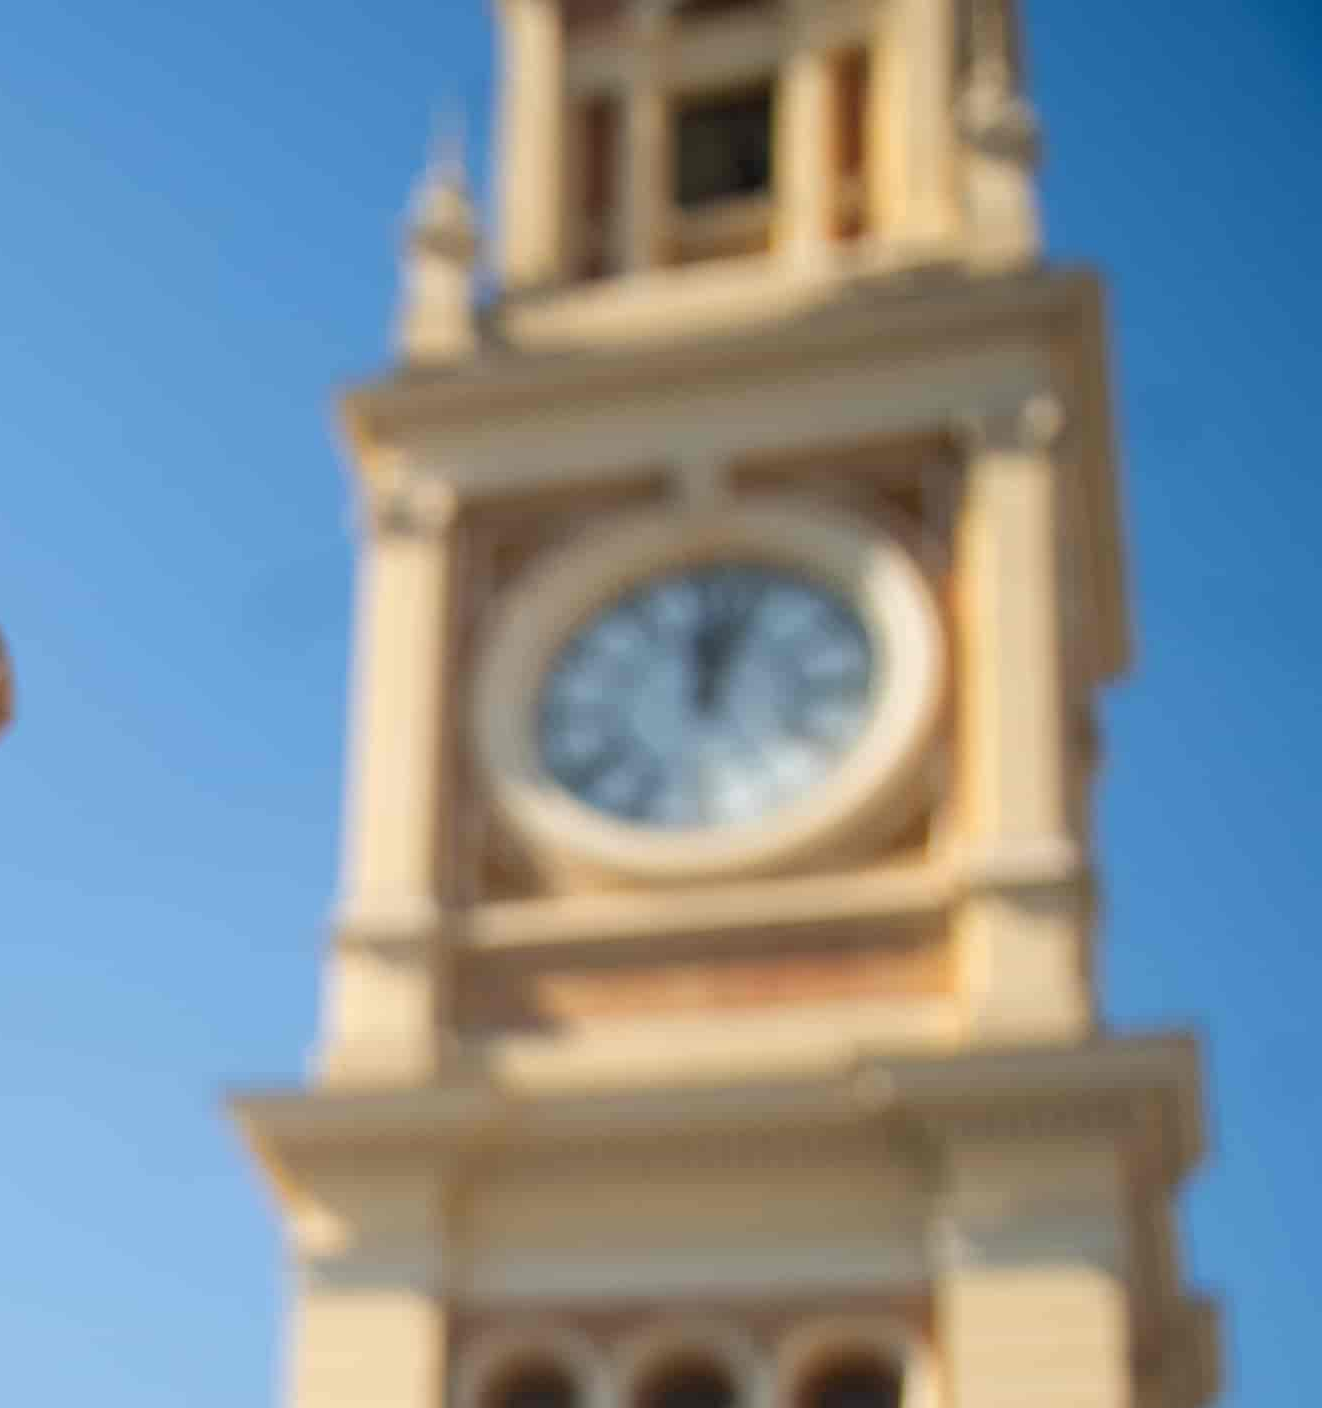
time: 12:02
